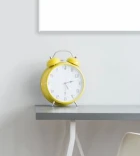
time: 2:30
